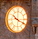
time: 10:19
